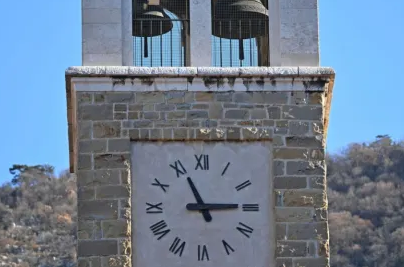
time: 11:14
